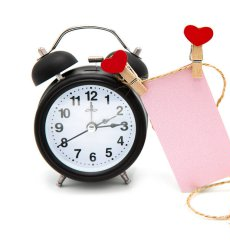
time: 2:40
